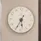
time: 5:34
